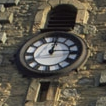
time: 12:14
